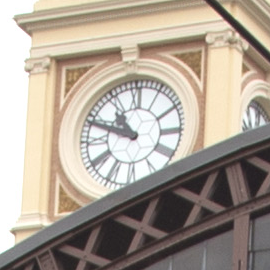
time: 10:48
